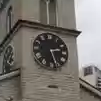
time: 2:27
